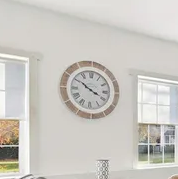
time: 3:50
